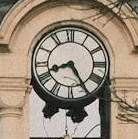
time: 8:24
